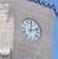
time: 12:12
